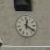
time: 12:21
